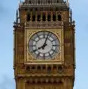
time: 8:03
